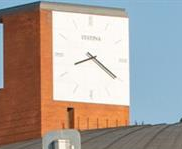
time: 8:20
